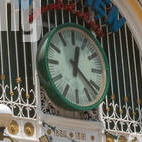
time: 12:21
